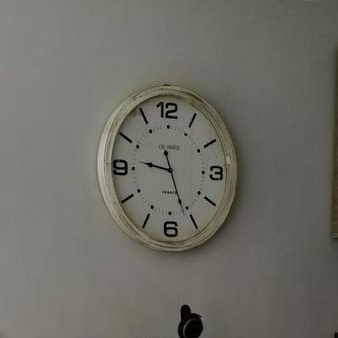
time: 9:26
